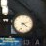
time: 4:12
